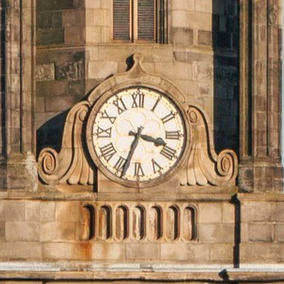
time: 3:33
